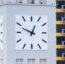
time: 12:48
